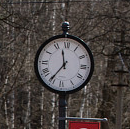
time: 11:35
